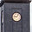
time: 9:07
